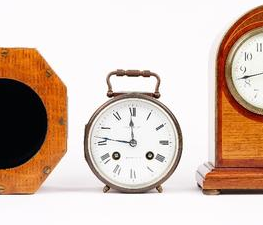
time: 11:46
